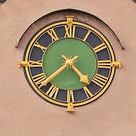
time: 4:37
